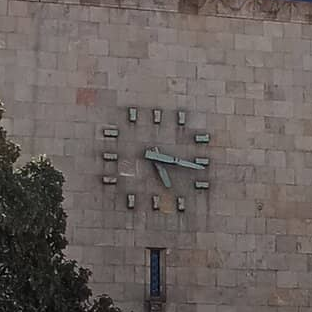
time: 5:16
